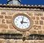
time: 3:02
